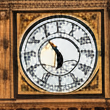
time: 5:54
